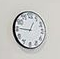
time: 12:45
